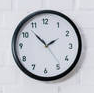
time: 1:52
